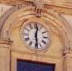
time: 12:28
